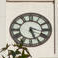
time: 5:17
